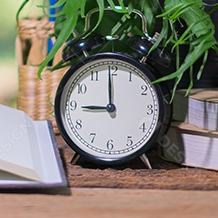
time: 8:59
